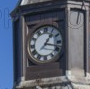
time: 1:17
